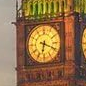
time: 6:18
